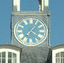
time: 4:06
